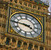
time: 3:45
